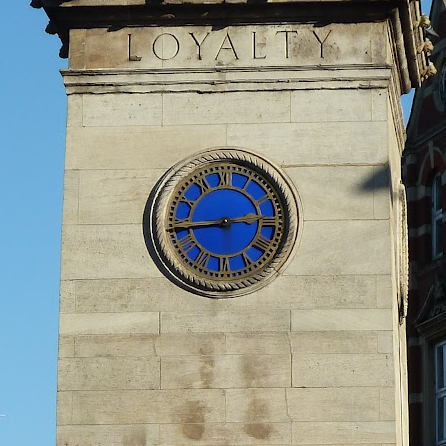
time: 2:43
